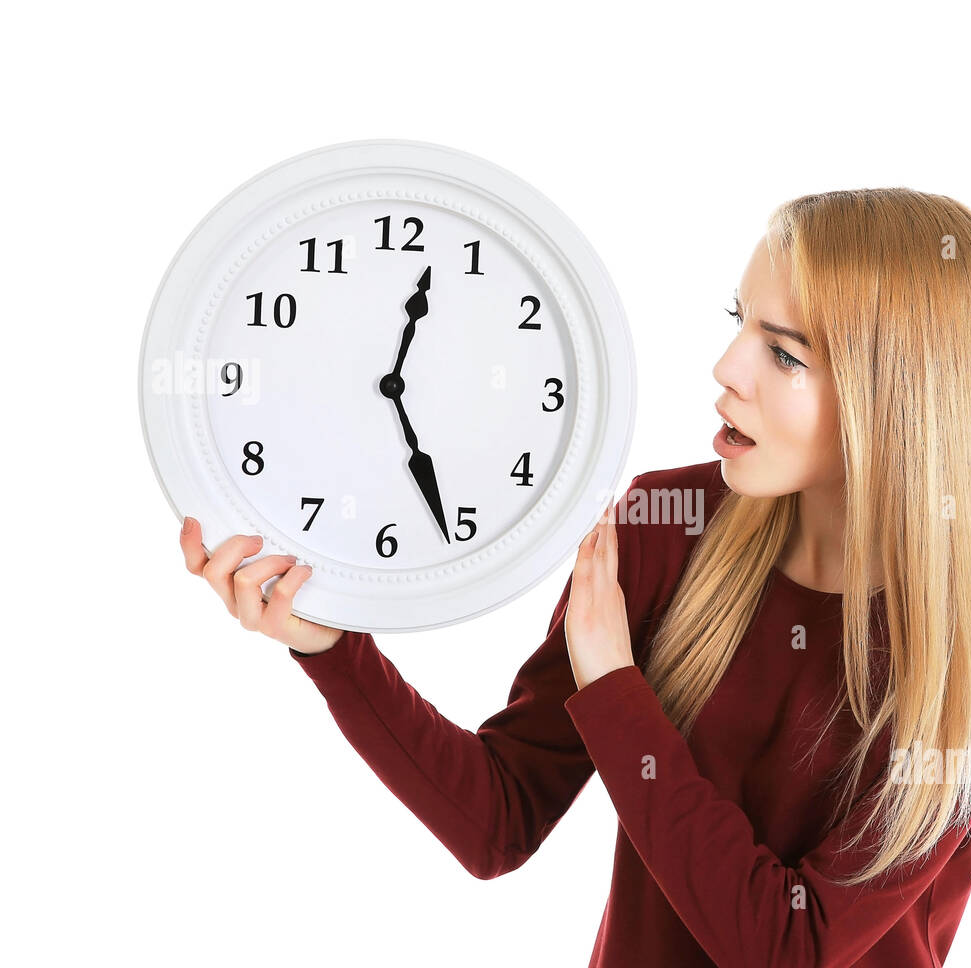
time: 12:26
